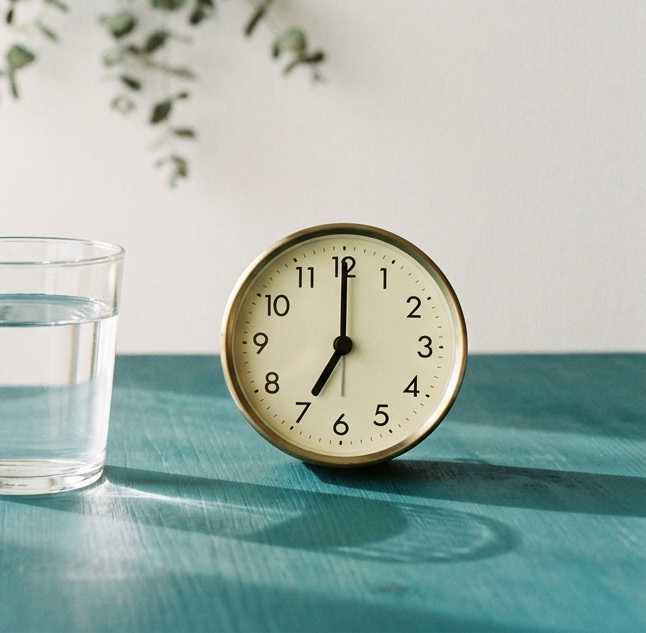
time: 7:00
